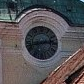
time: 2:42
